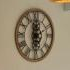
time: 5:59
